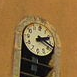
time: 2:18
